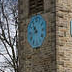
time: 10:41
